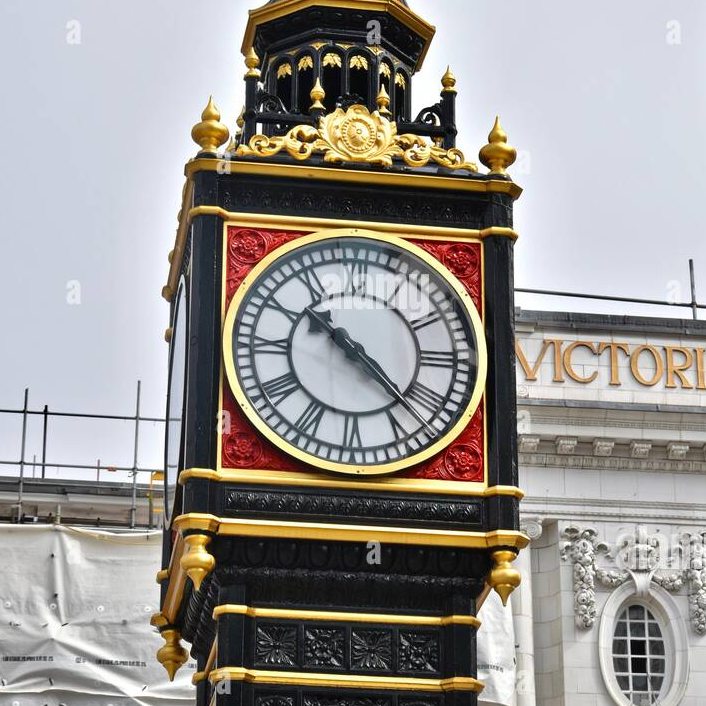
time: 10:22
